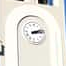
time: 2:13
